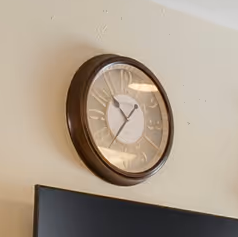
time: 10:36
